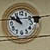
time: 10:49
